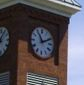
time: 11:10
